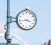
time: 3:43
